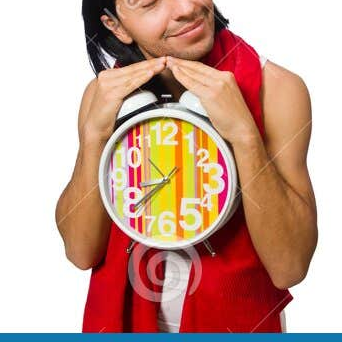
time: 8:38
